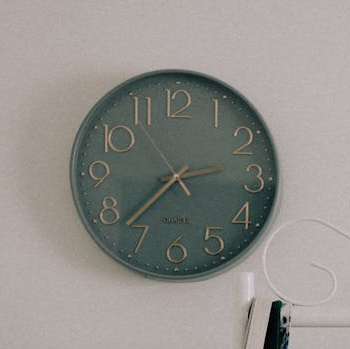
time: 2:37
